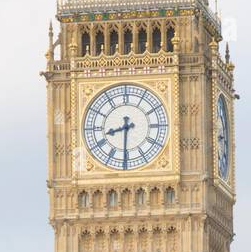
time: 8:30
